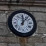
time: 12:06
